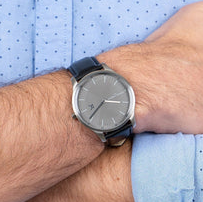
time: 7:15
